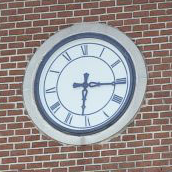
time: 6:15
